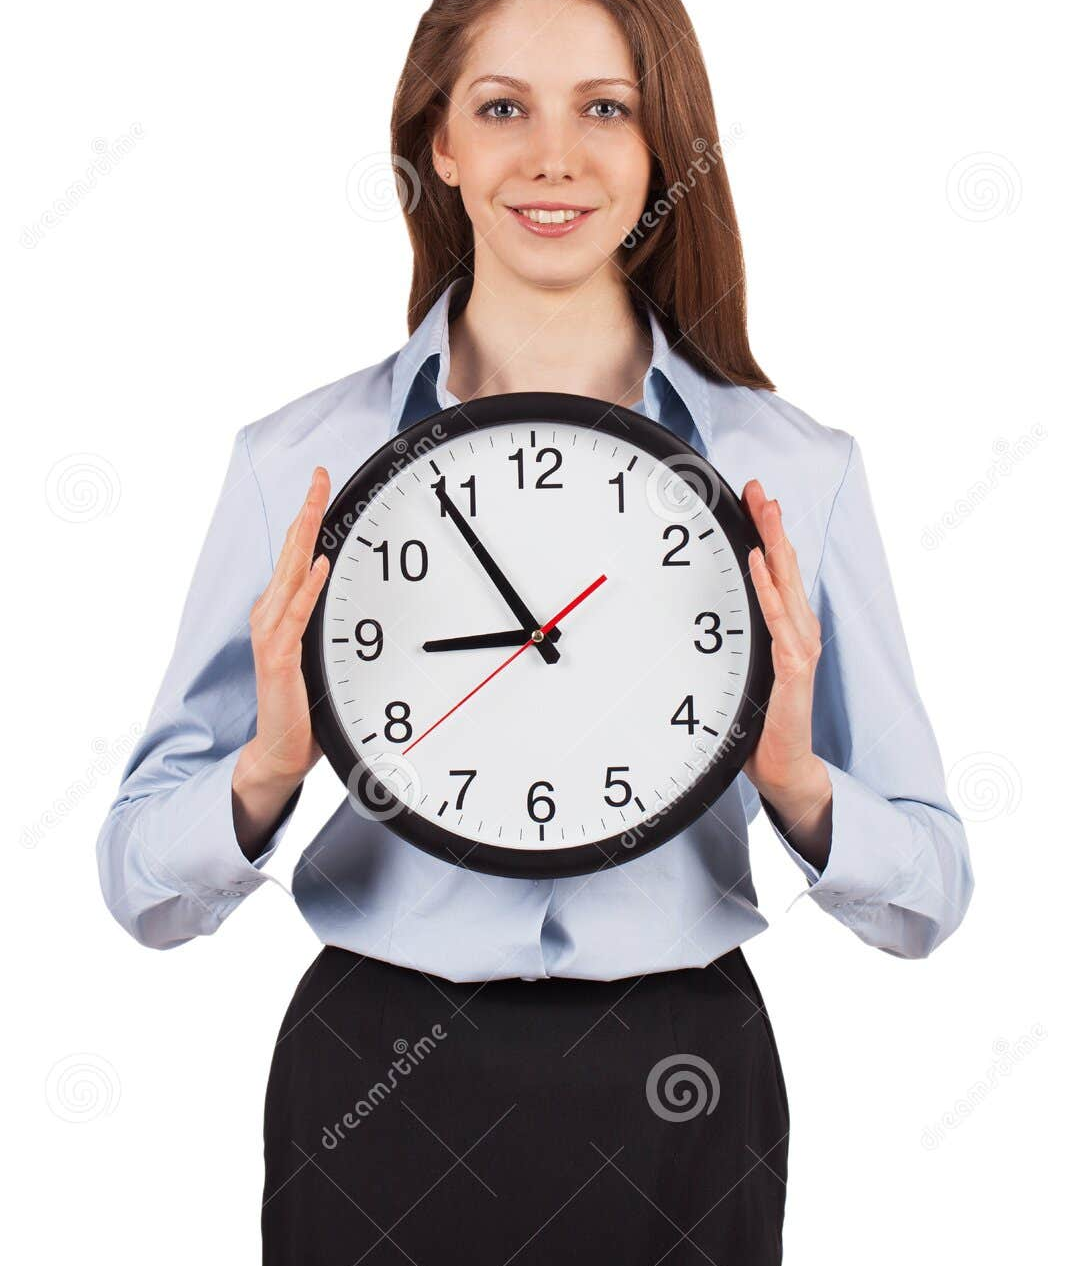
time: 8:54
